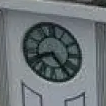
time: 8:23
